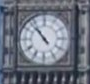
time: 10:53
